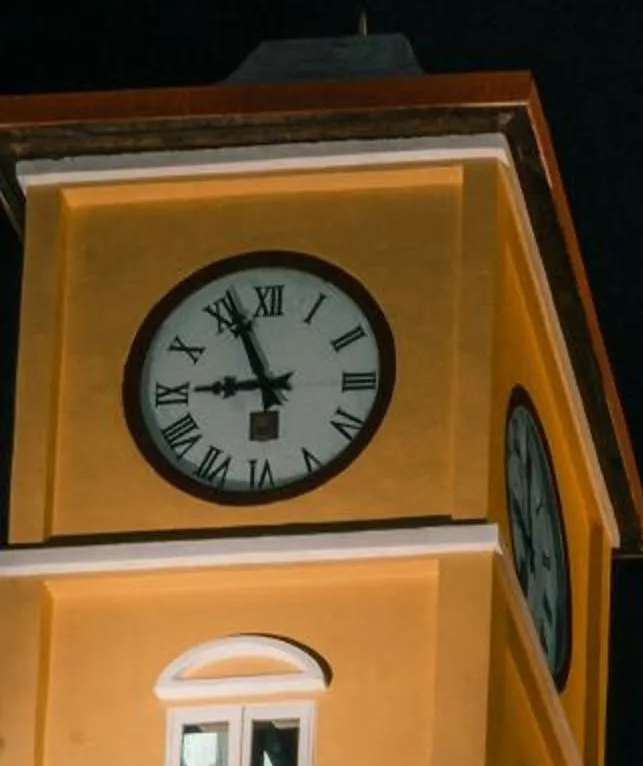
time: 8:56
